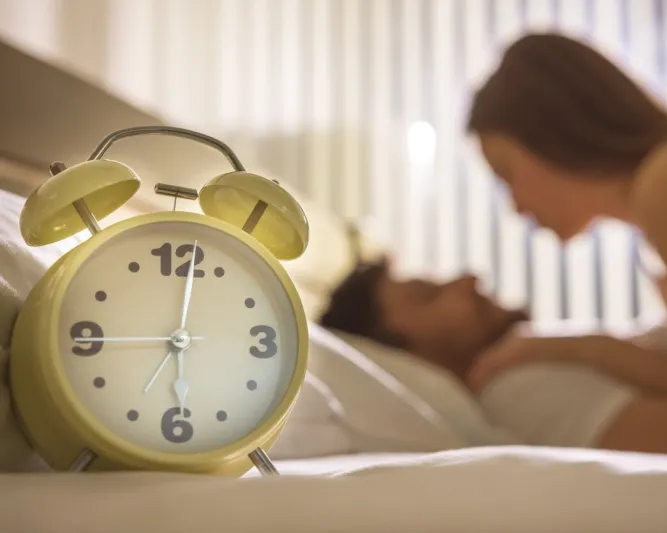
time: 6:01
